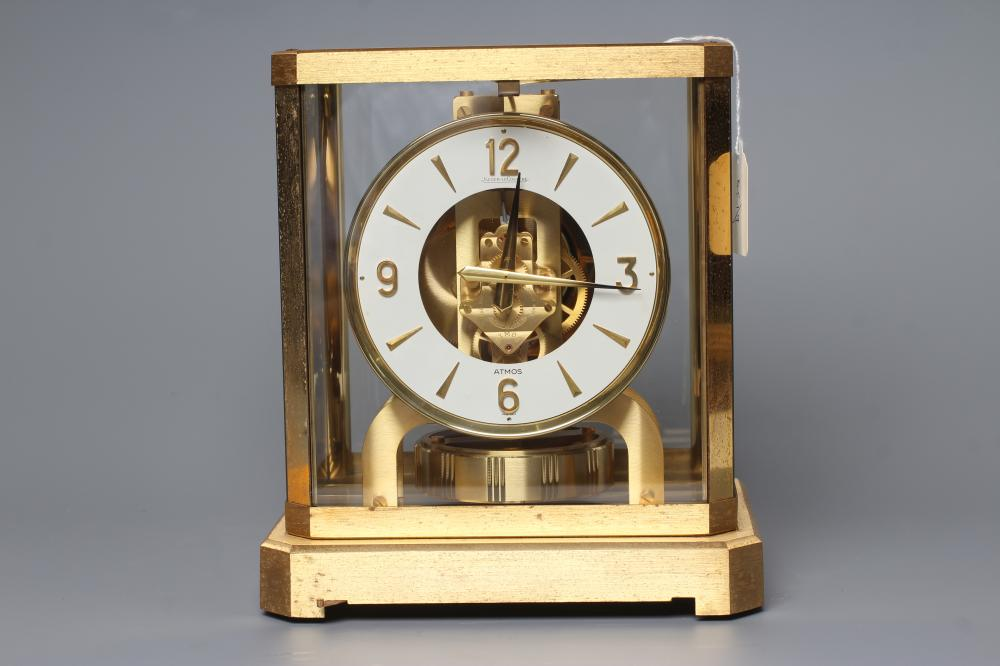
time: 12:16
